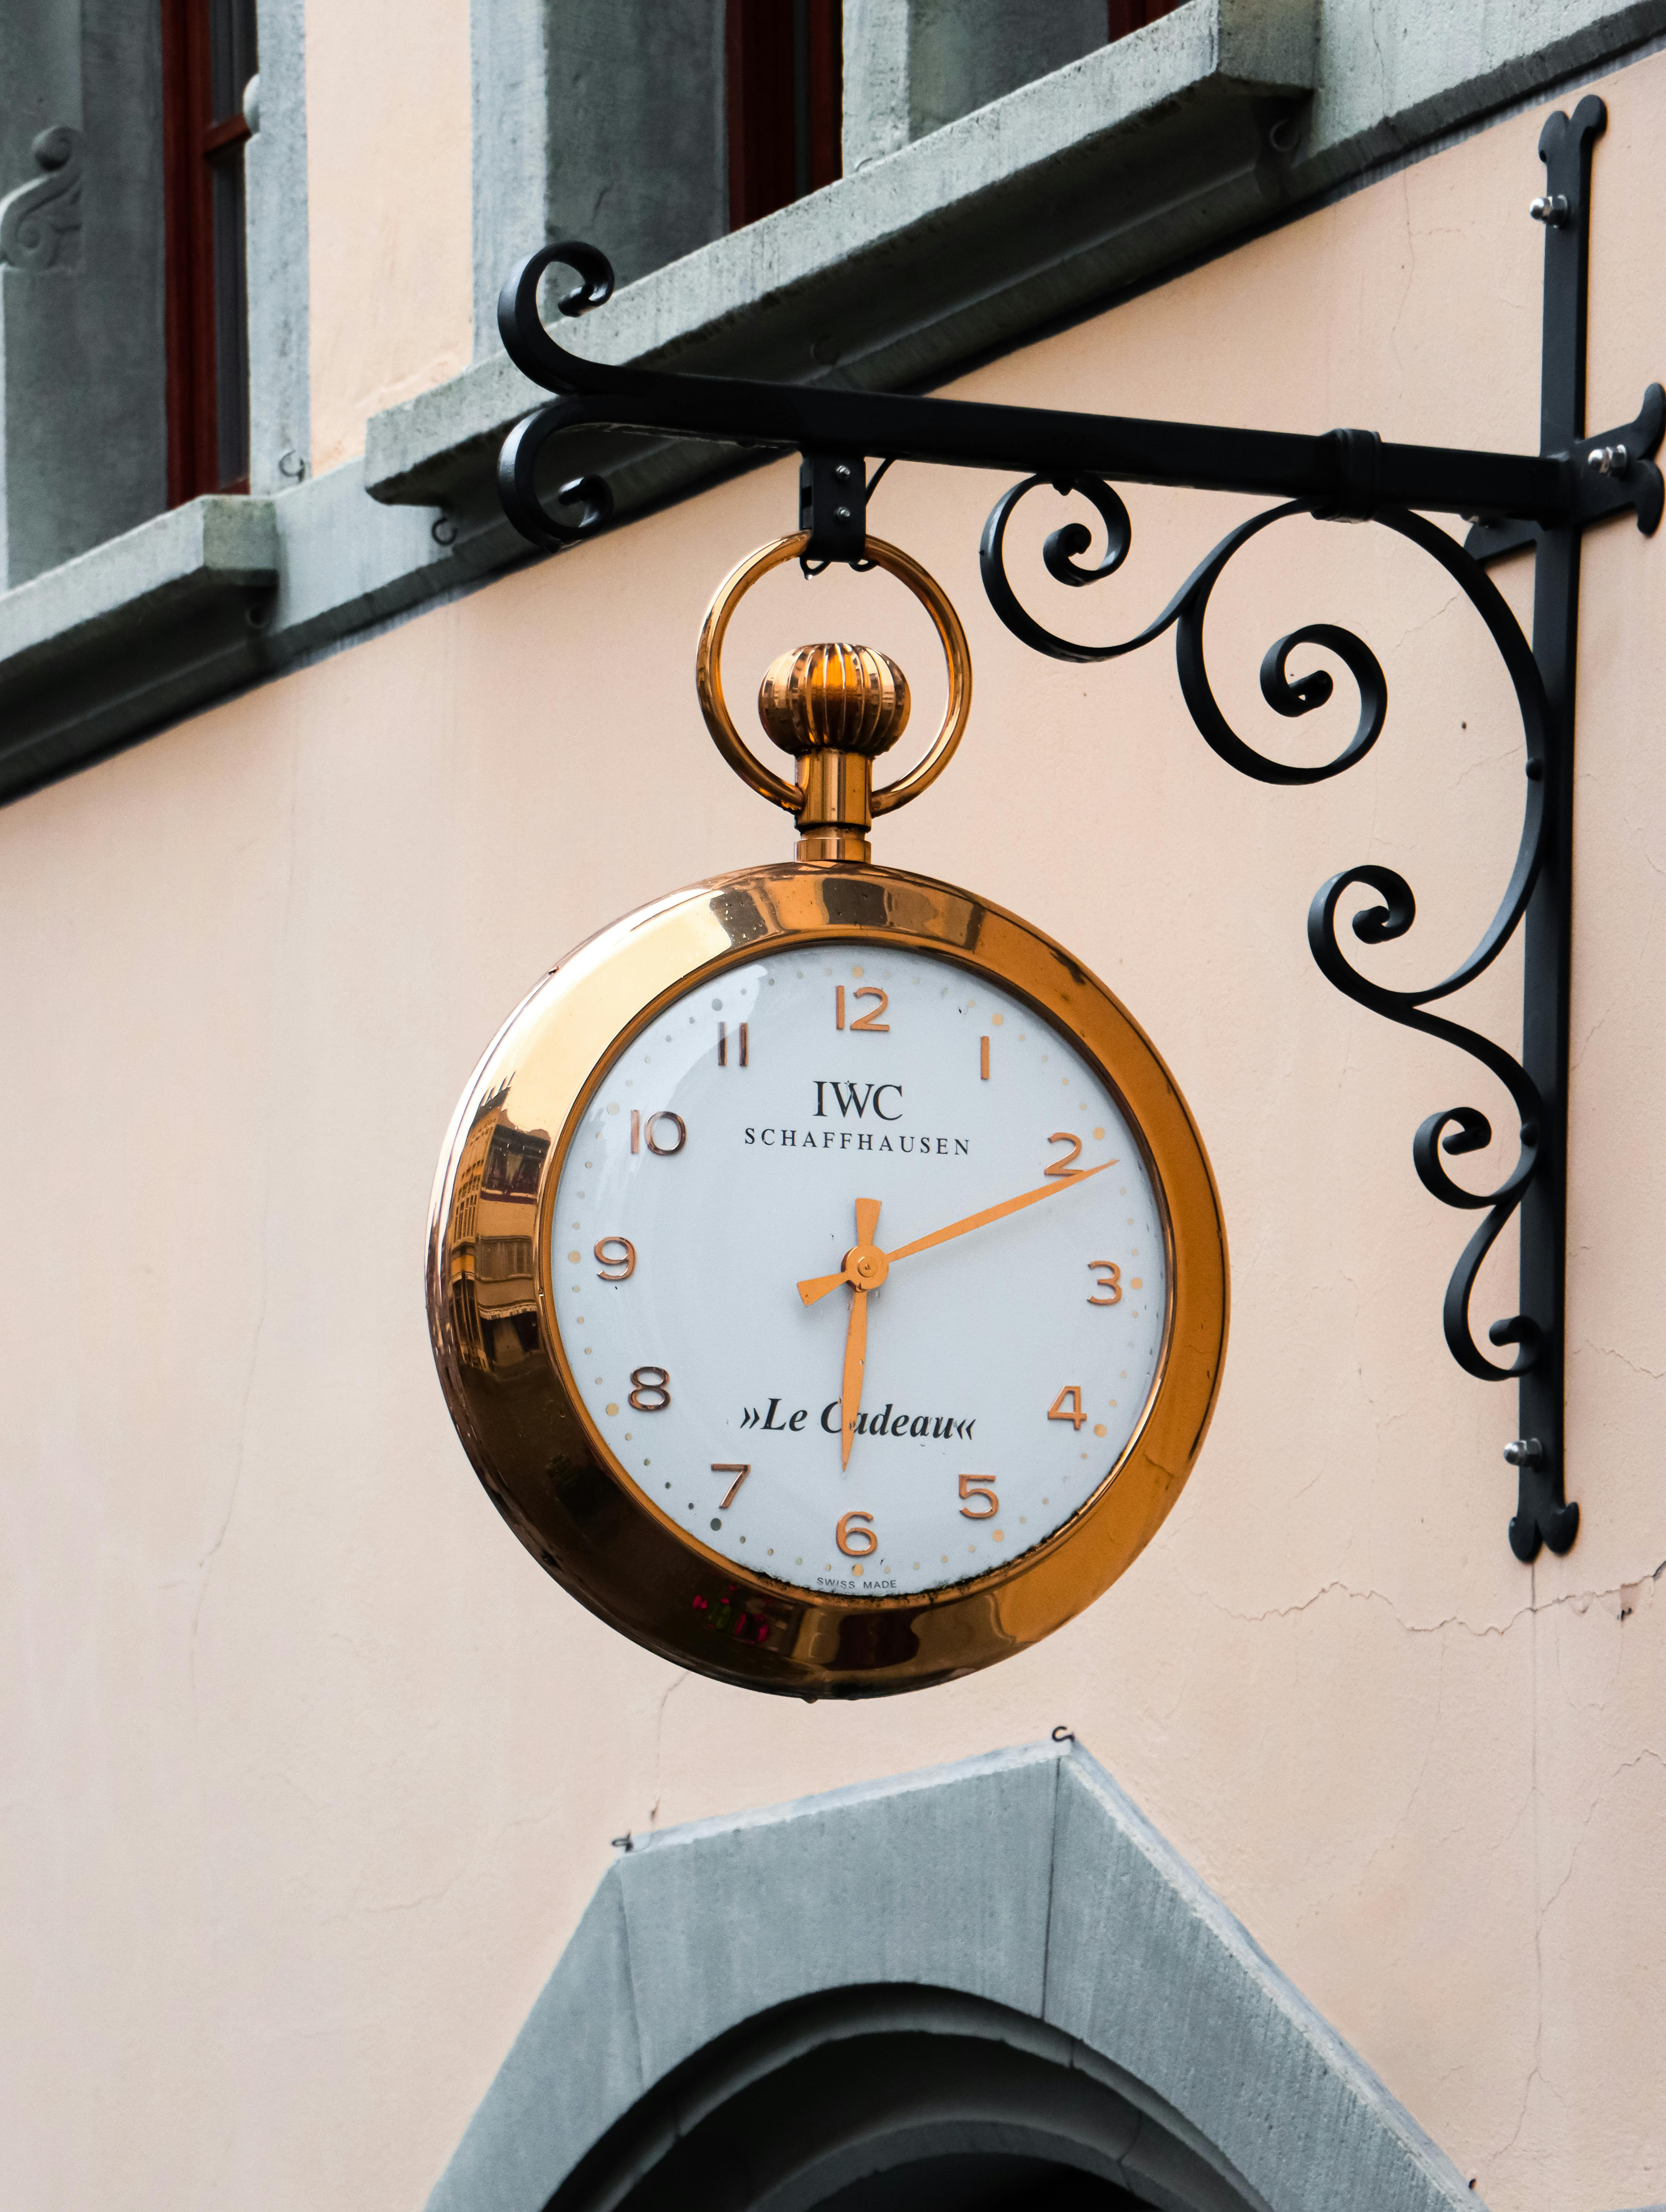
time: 6:10
